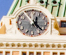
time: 12:22
